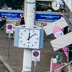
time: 12:07
